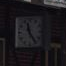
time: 11:24
